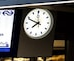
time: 7:48
